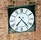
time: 7:23
